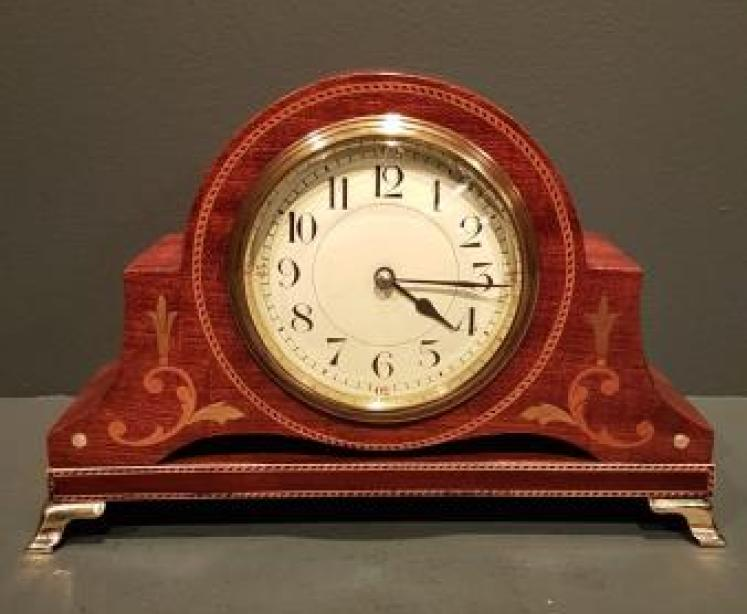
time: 4:15
